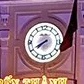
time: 7:40
